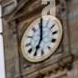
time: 7:01
